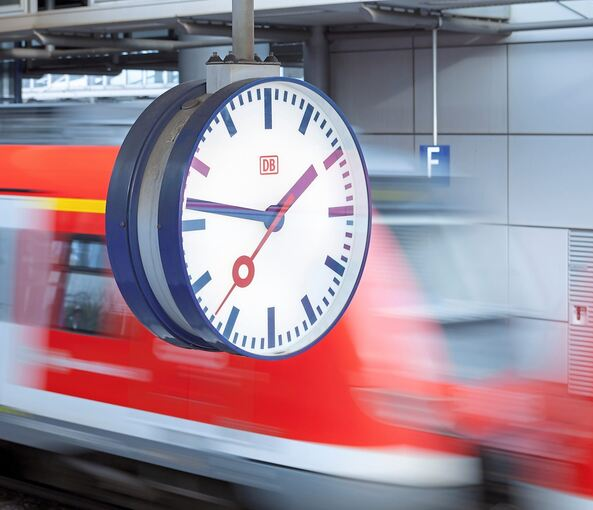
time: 1:46
